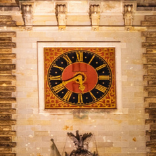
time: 5:40
